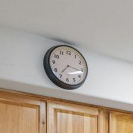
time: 7:15
